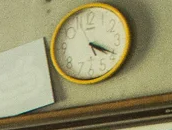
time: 4:19
